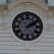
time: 2:09
